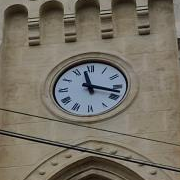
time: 11:17
